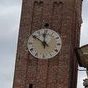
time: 11:50
